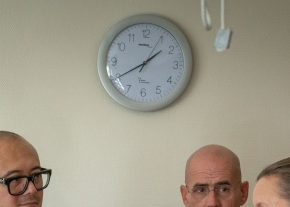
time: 1:39
